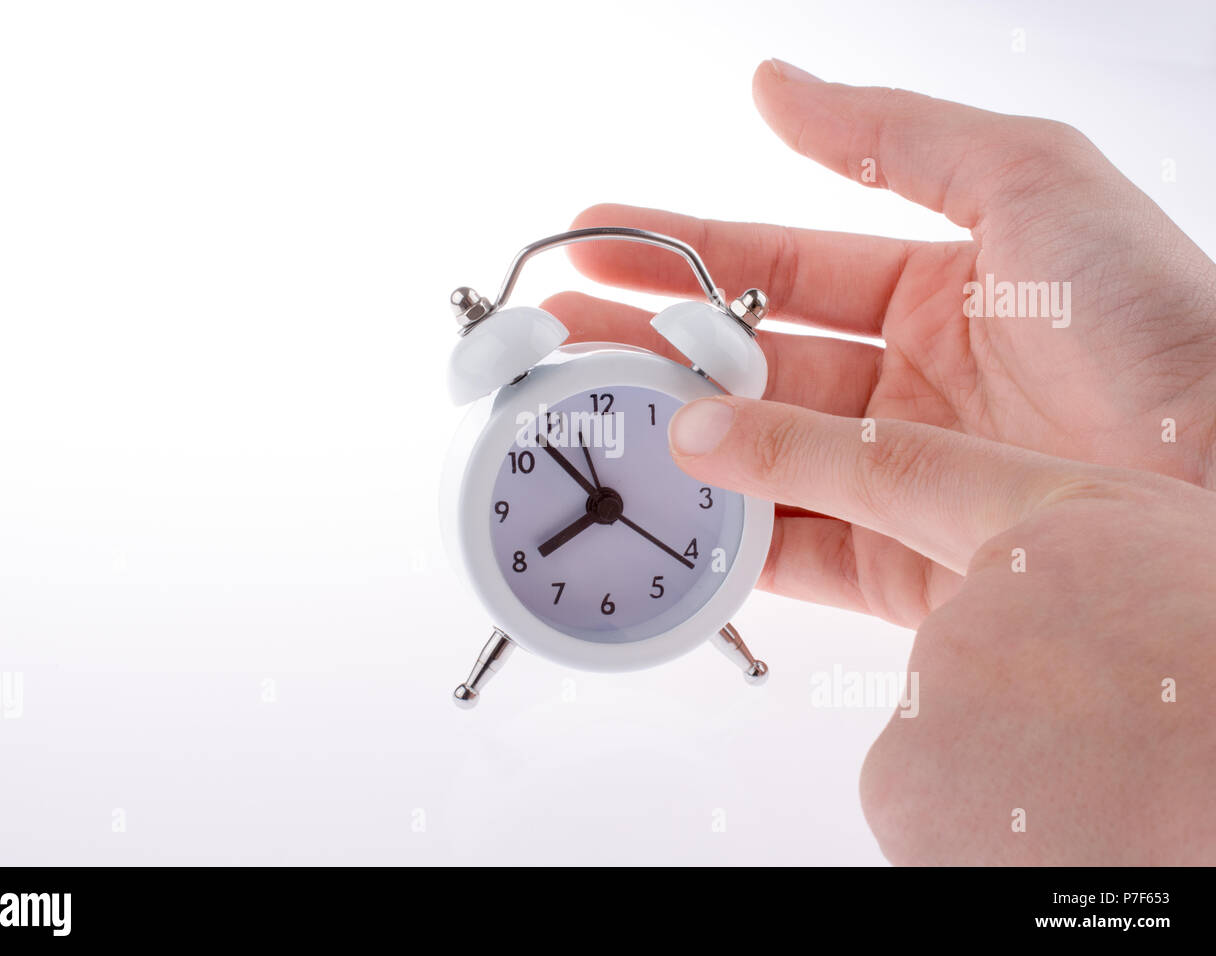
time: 7:53
